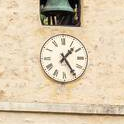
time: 1:24
